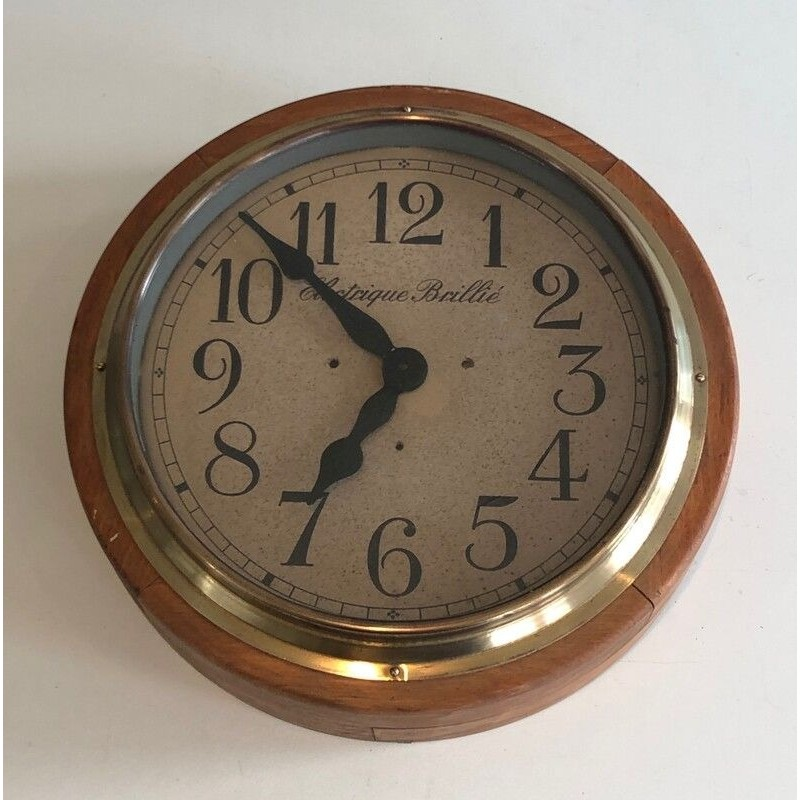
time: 6:53
